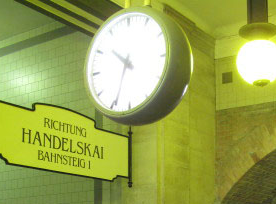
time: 10:34
